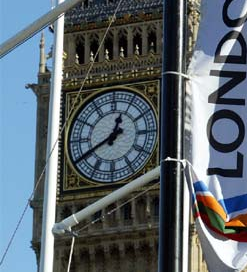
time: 12:40
